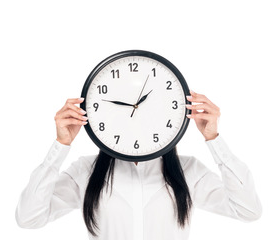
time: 1:46
